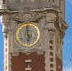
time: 5:59
